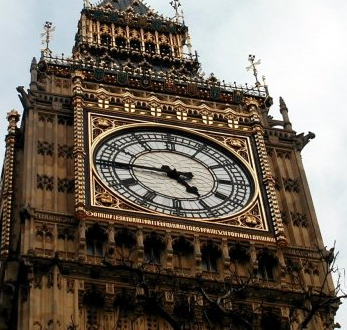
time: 4:45
